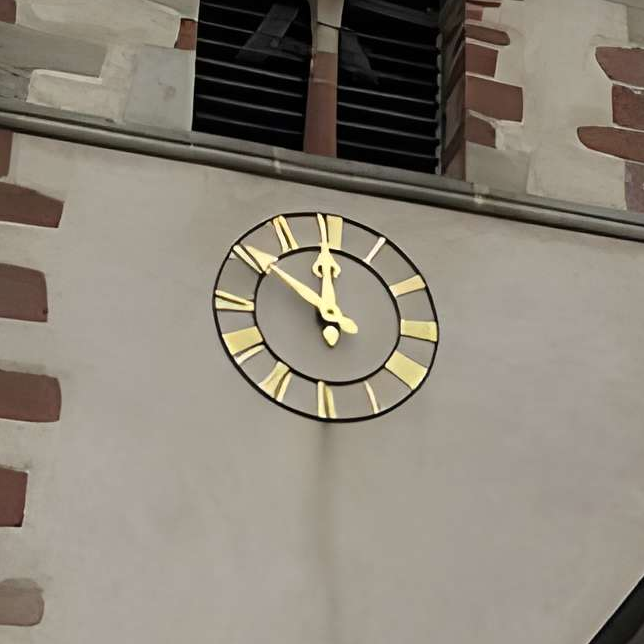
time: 11:51
